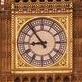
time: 8:53
